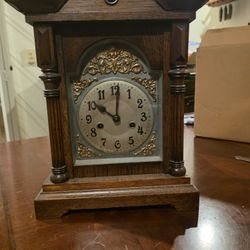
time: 10:00
